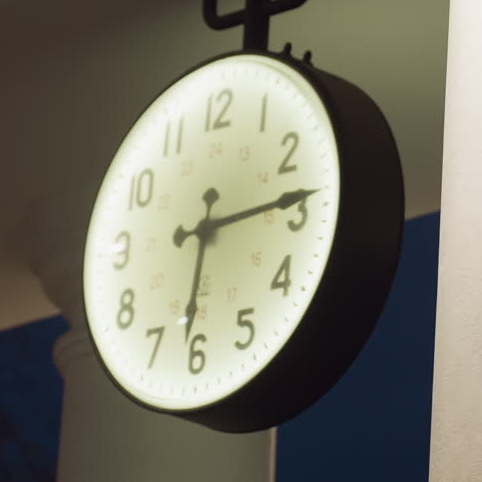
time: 6:14
